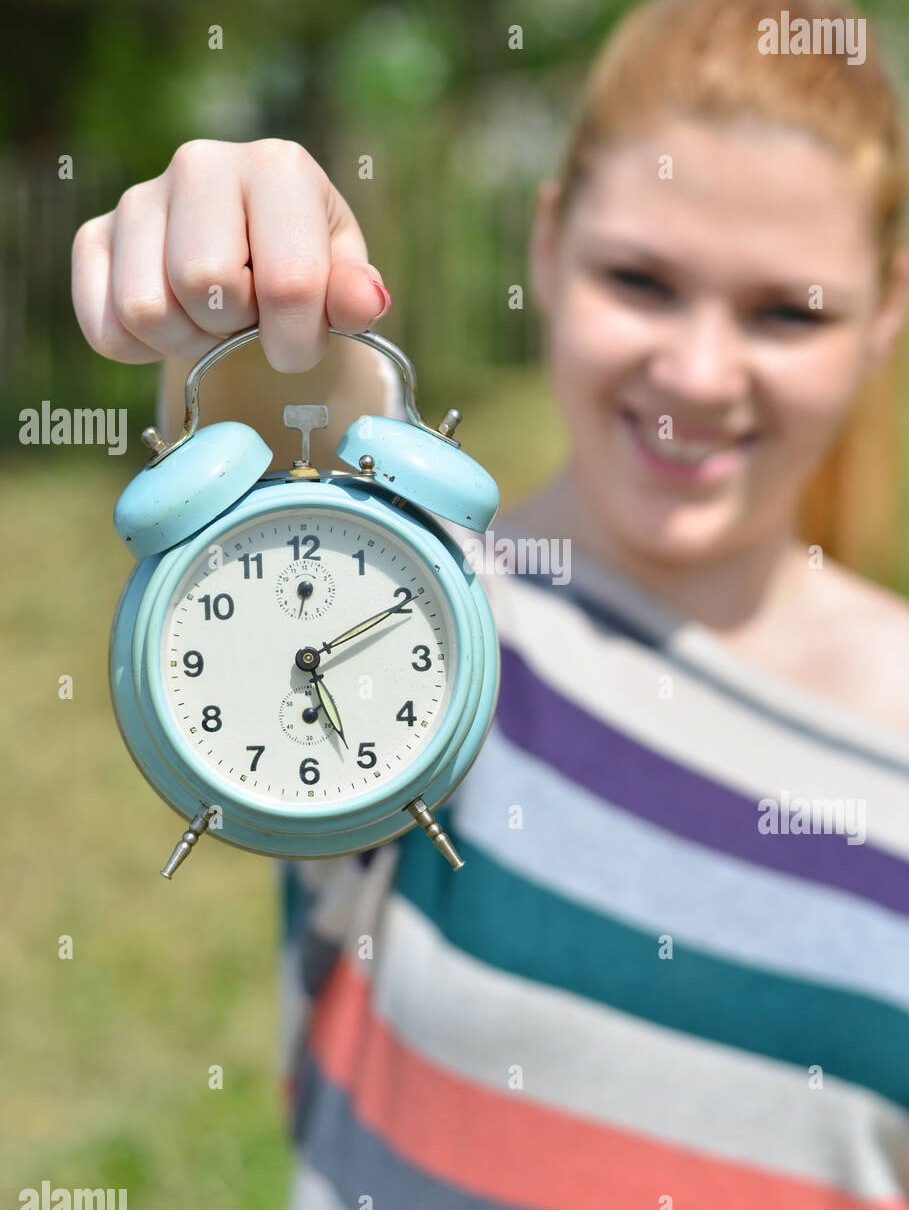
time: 5:10
